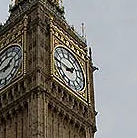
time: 2:46
